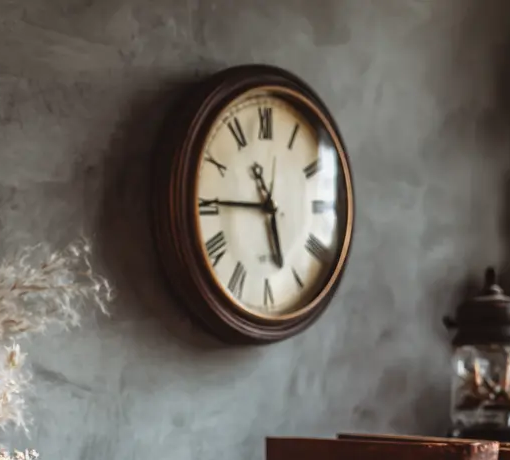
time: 5:45
